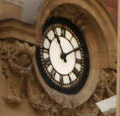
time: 11:10
